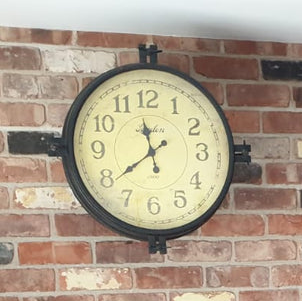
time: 11:38
